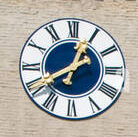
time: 12:40
